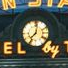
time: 7:01
